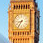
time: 8:35
